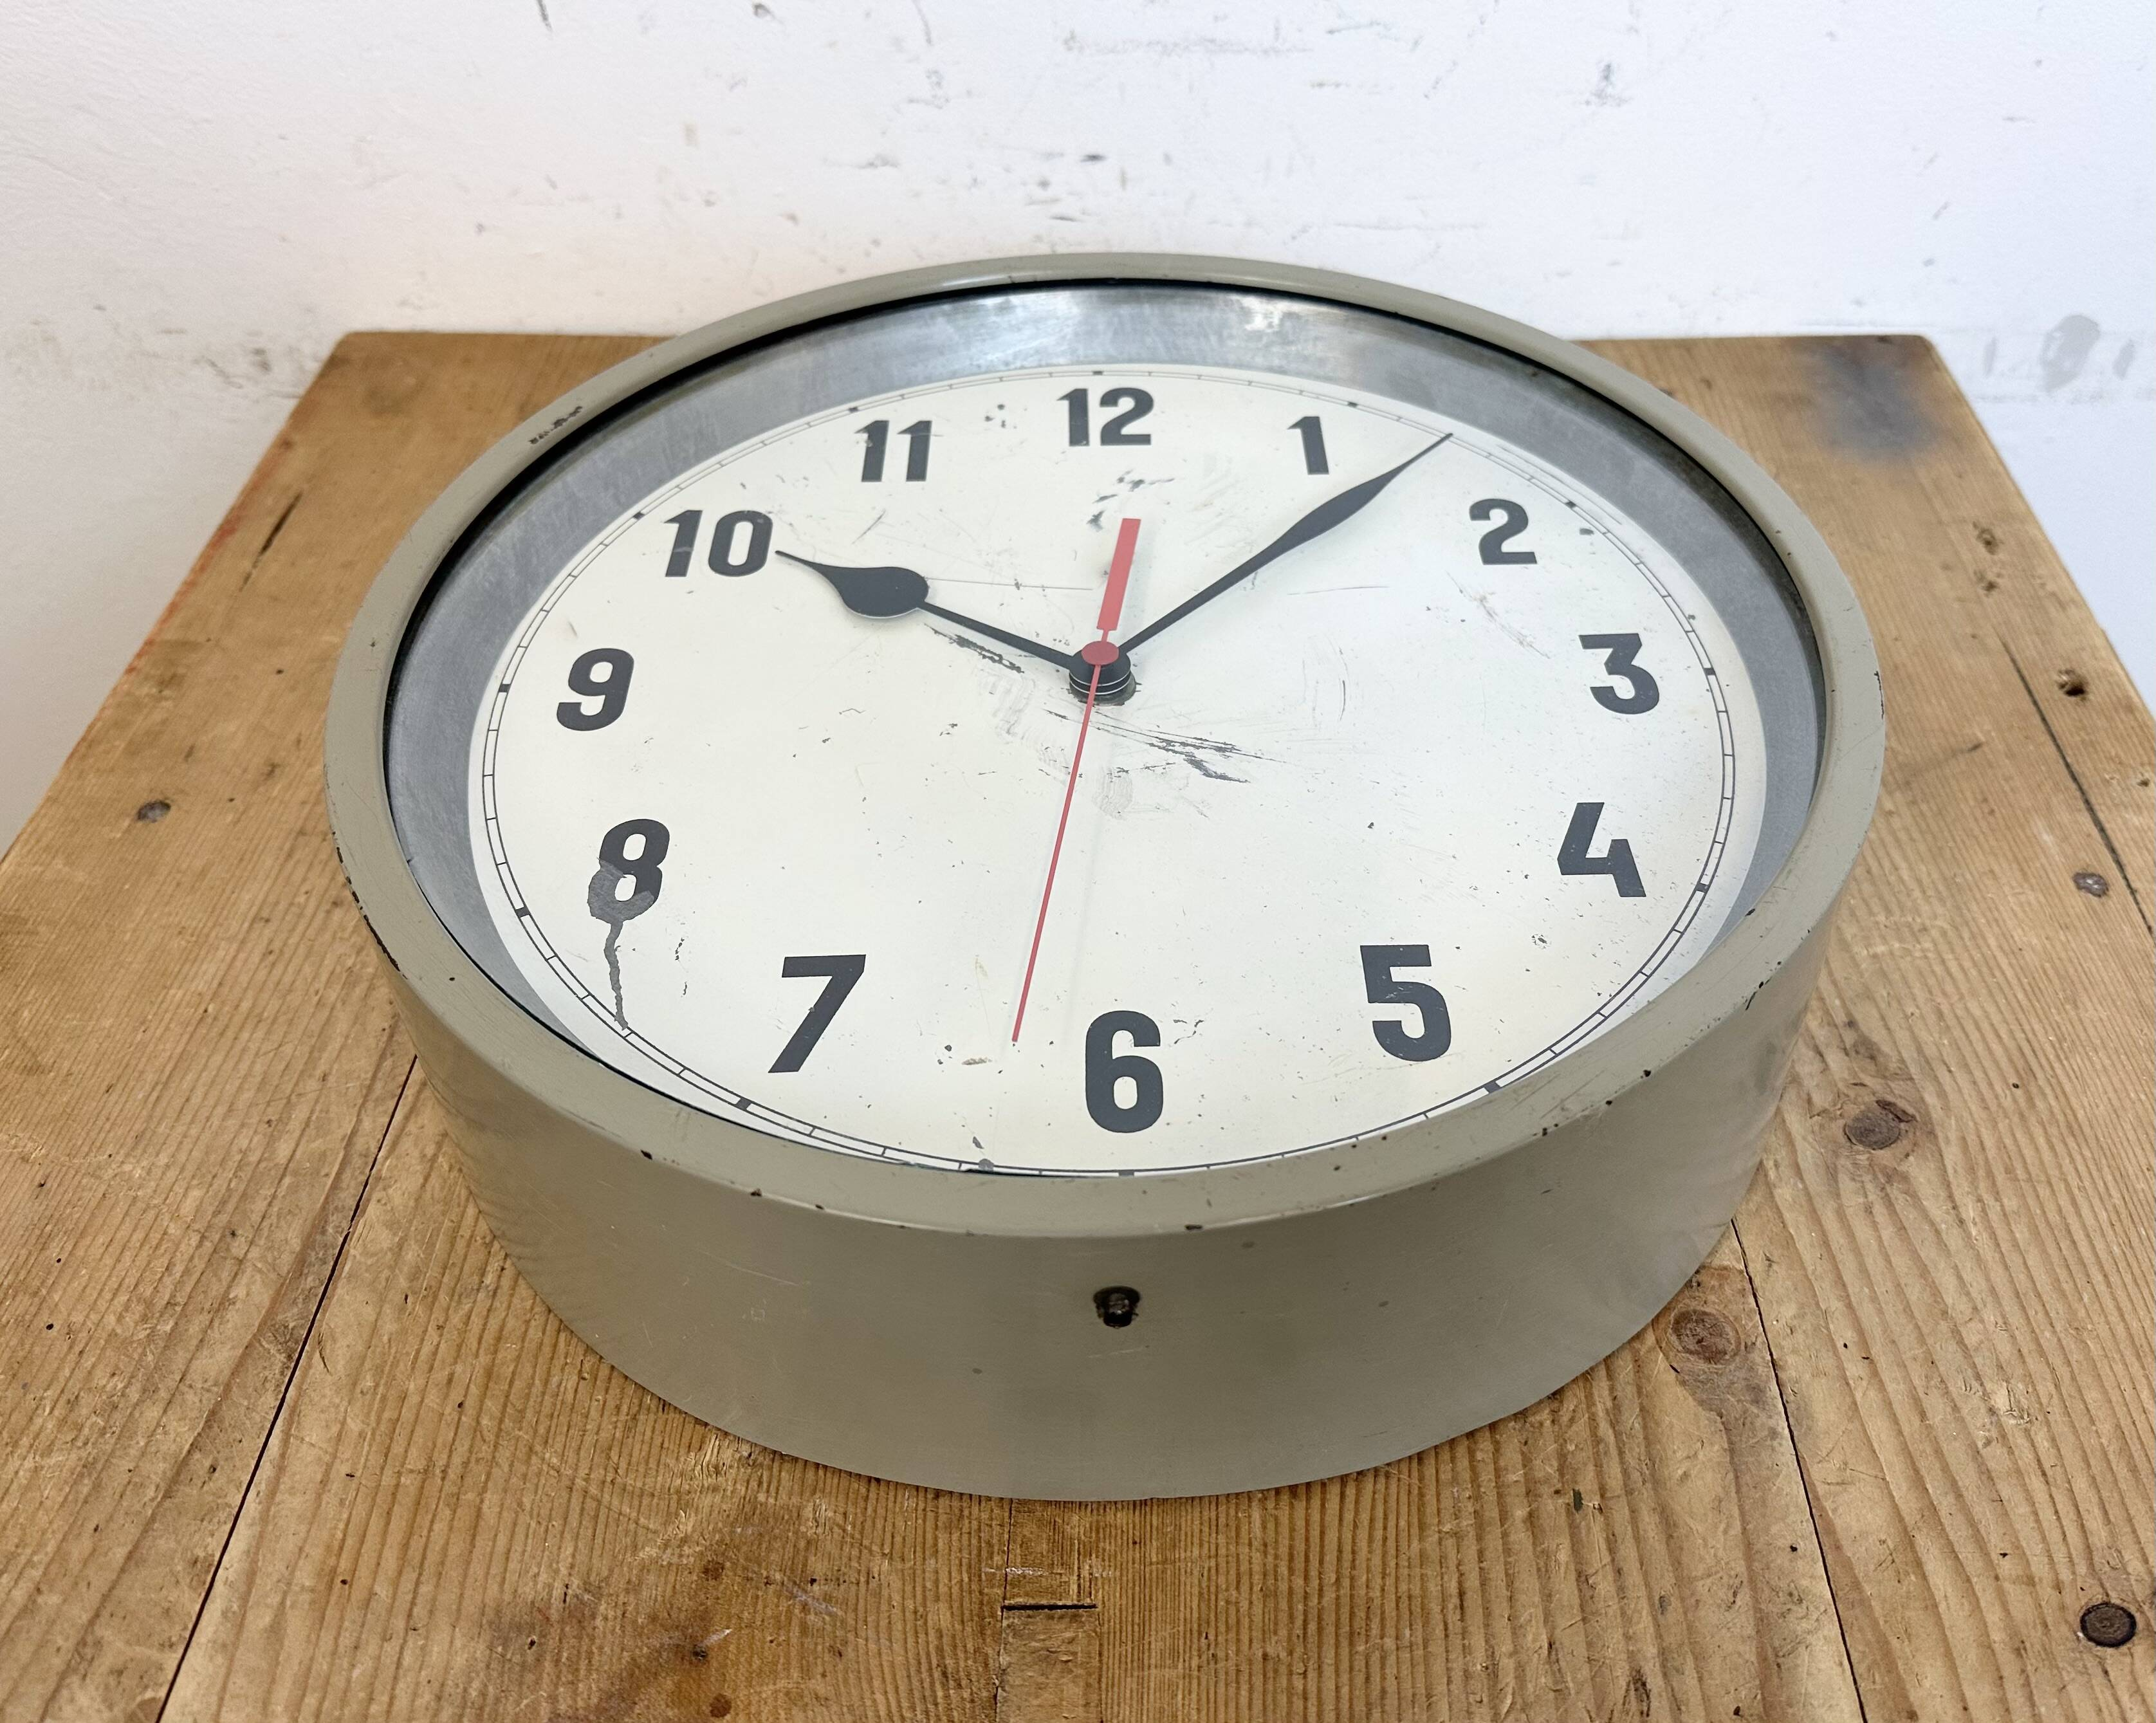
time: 10:07
